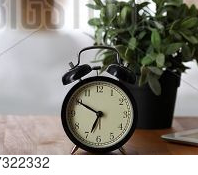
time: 6:50
